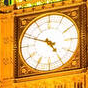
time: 4:48
